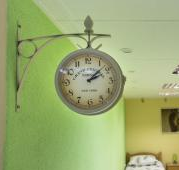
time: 2:07
